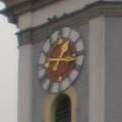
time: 1:16
